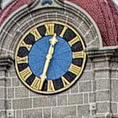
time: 12:32
